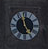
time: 4:58
